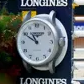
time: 10:50
